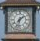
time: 1:32
